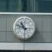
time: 10:48
